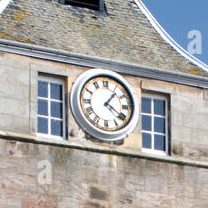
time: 1:20
